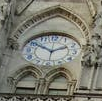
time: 1:50
